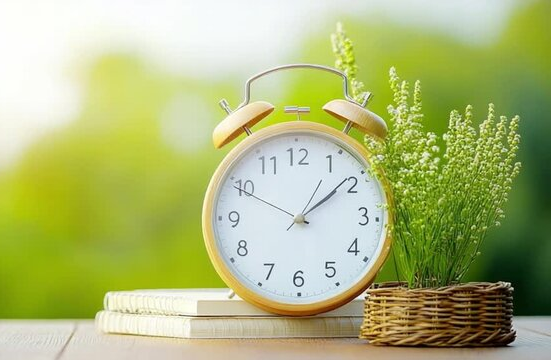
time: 1:08
